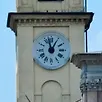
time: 12:57
